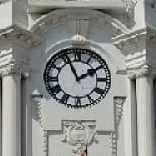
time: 1:55
